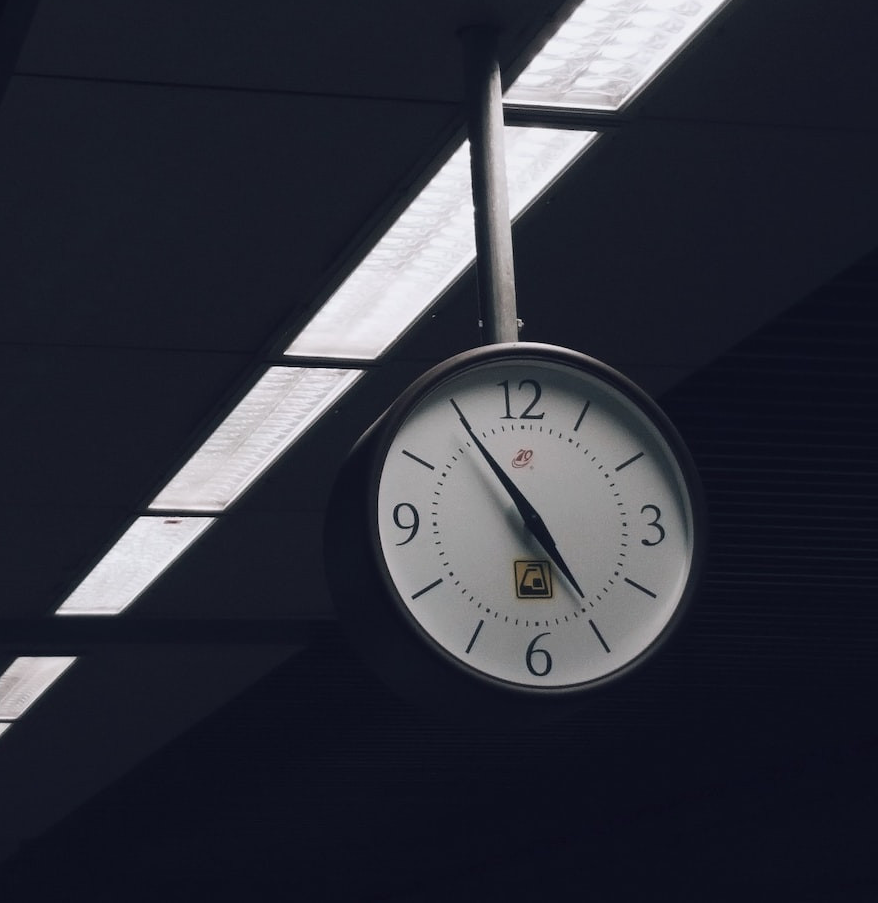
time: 4:54
